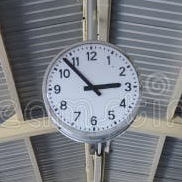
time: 2:53
